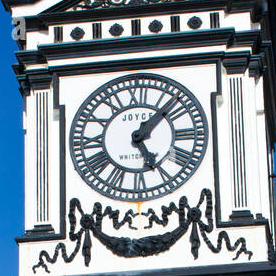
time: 5:07
